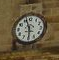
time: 5:56
